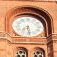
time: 7:28
